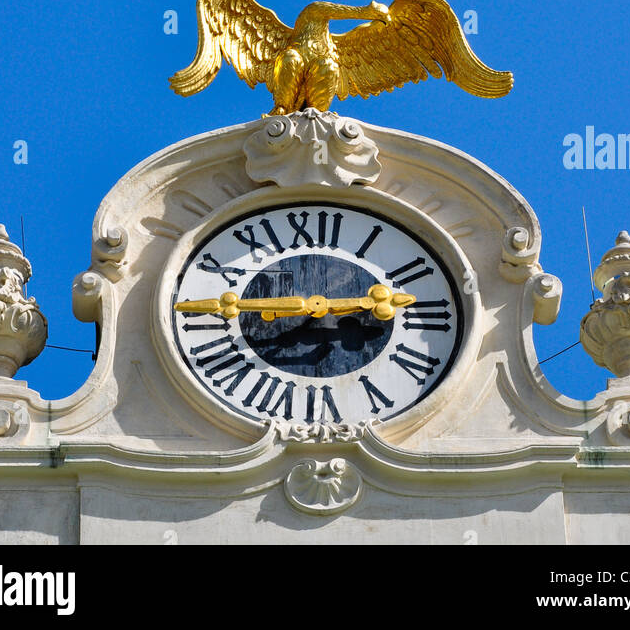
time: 2:40
